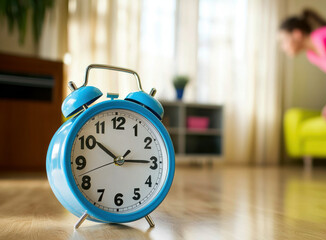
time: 10:14
